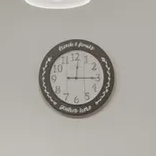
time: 12:15
